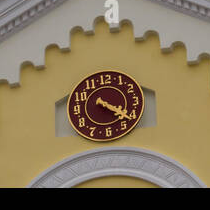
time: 4:21
